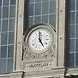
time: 4:59
